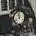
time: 11:40
